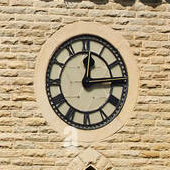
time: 12:14
